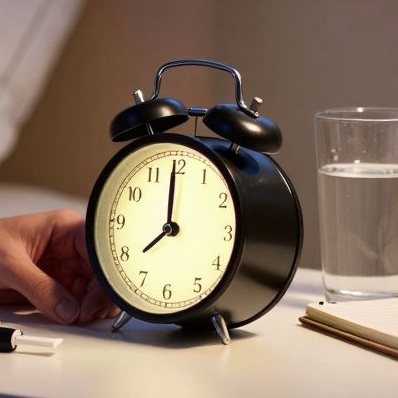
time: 7:59
